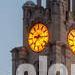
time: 7:15
